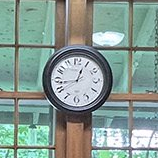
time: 12:43
